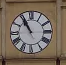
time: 10:55
